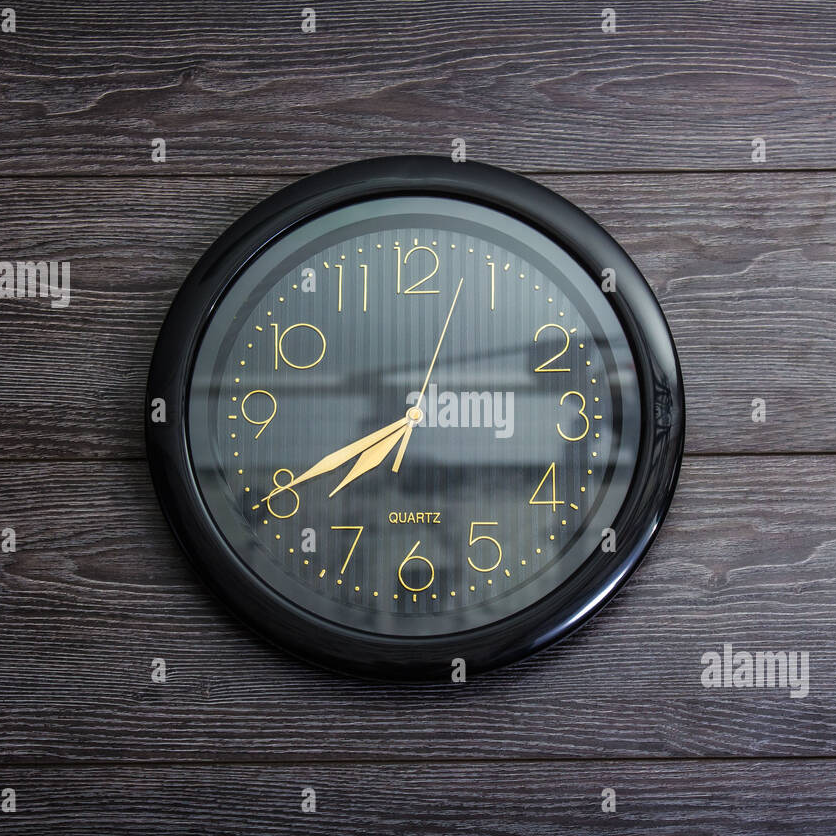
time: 7:40
